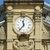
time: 11:36
